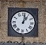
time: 1:01
